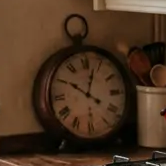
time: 10:03
